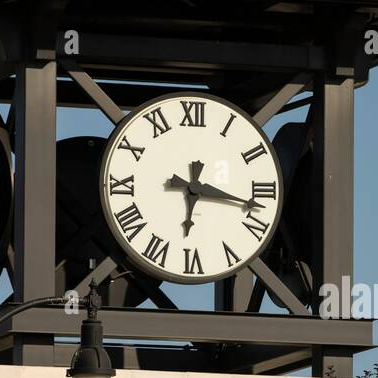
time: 6:17
